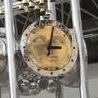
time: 3:02
